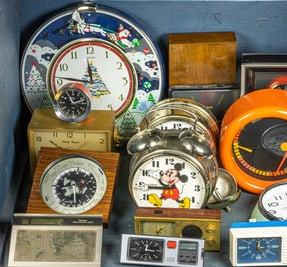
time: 11:46
